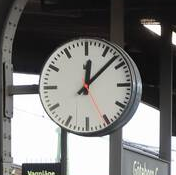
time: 12:07
